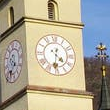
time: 4:31
